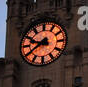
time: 9:39
